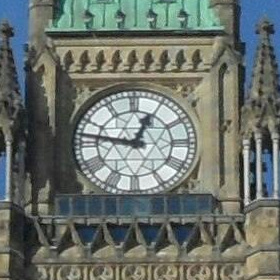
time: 12:46
